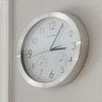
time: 3:04
